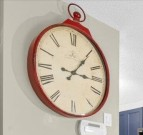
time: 3:05
